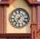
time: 7:07
